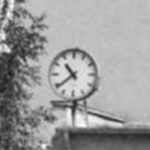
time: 10:38
